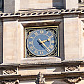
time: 2:23
